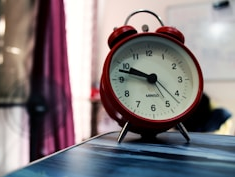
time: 9:47
